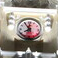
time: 7:54
